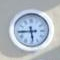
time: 5:44
